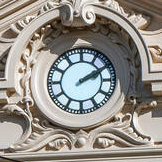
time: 2:09
